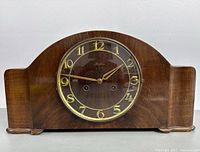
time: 1:46
